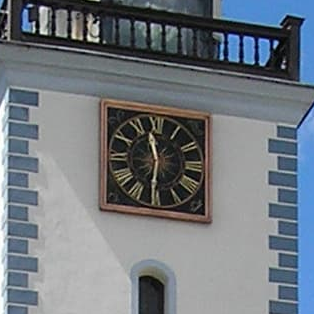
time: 11:31
